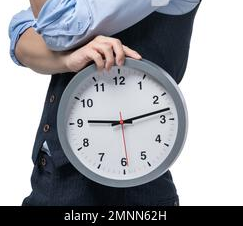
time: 9:12
